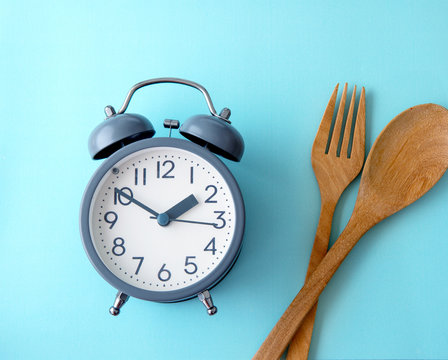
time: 1:50
